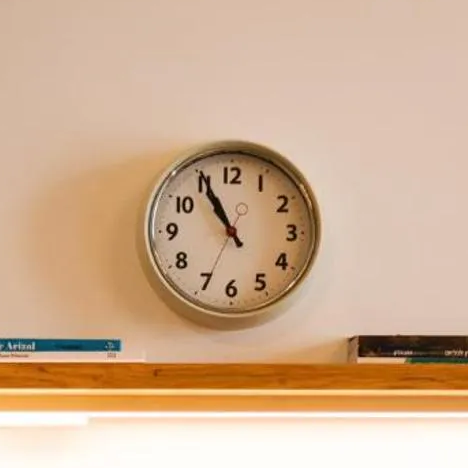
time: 10:55
